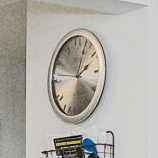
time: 2:03
